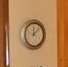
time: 12:07
